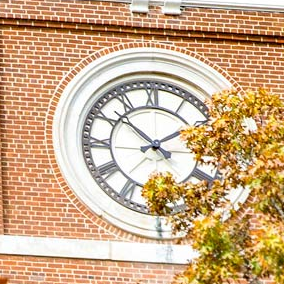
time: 1:51
